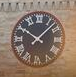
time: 10:07
